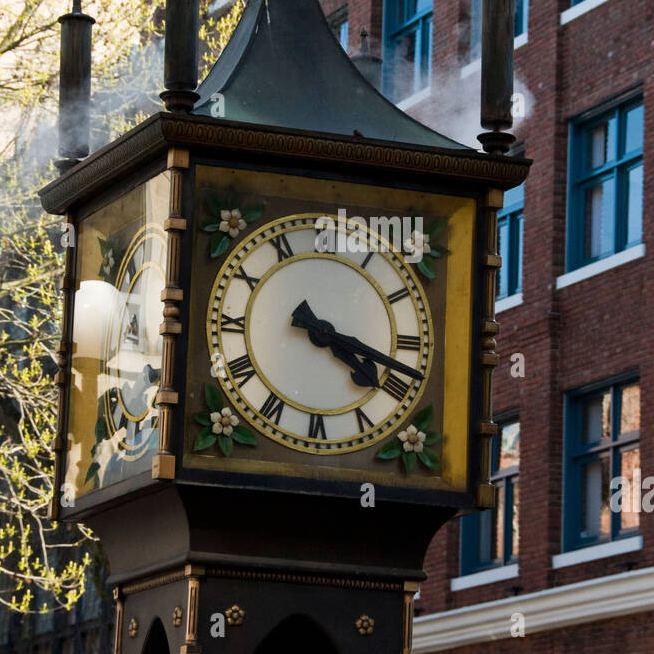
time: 4:18
